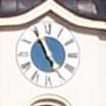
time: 4:55
